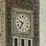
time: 9:35
